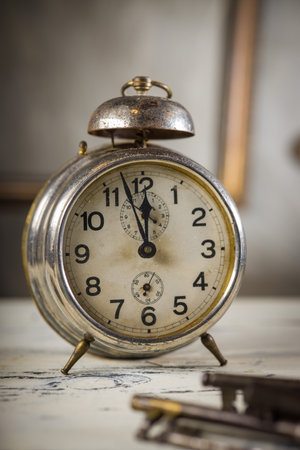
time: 11:57
